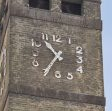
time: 10:35
